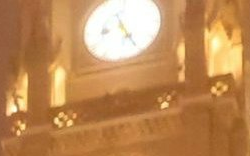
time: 11:25
